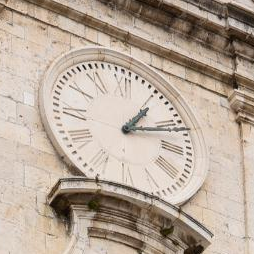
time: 1:11
